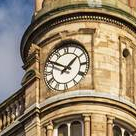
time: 1:50
